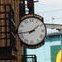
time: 1:43
